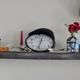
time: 12:32
